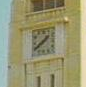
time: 1:39
